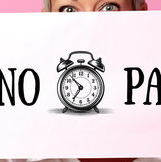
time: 6:53
